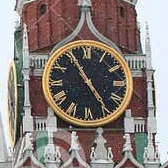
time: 4:55
